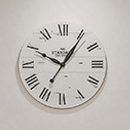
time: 10:05
